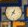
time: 7:03
